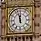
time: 11:57
